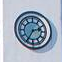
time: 2:35
